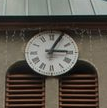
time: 3:04
